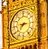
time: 7:15
